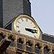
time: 3:13
